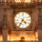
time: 4:35
